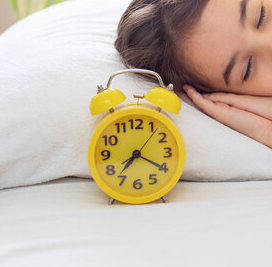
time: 7:20
